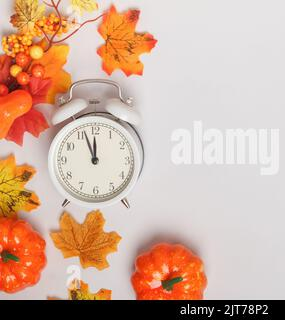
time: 11:56
